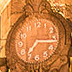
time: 7:16
